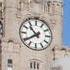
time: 10:39
